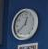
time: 12:38
